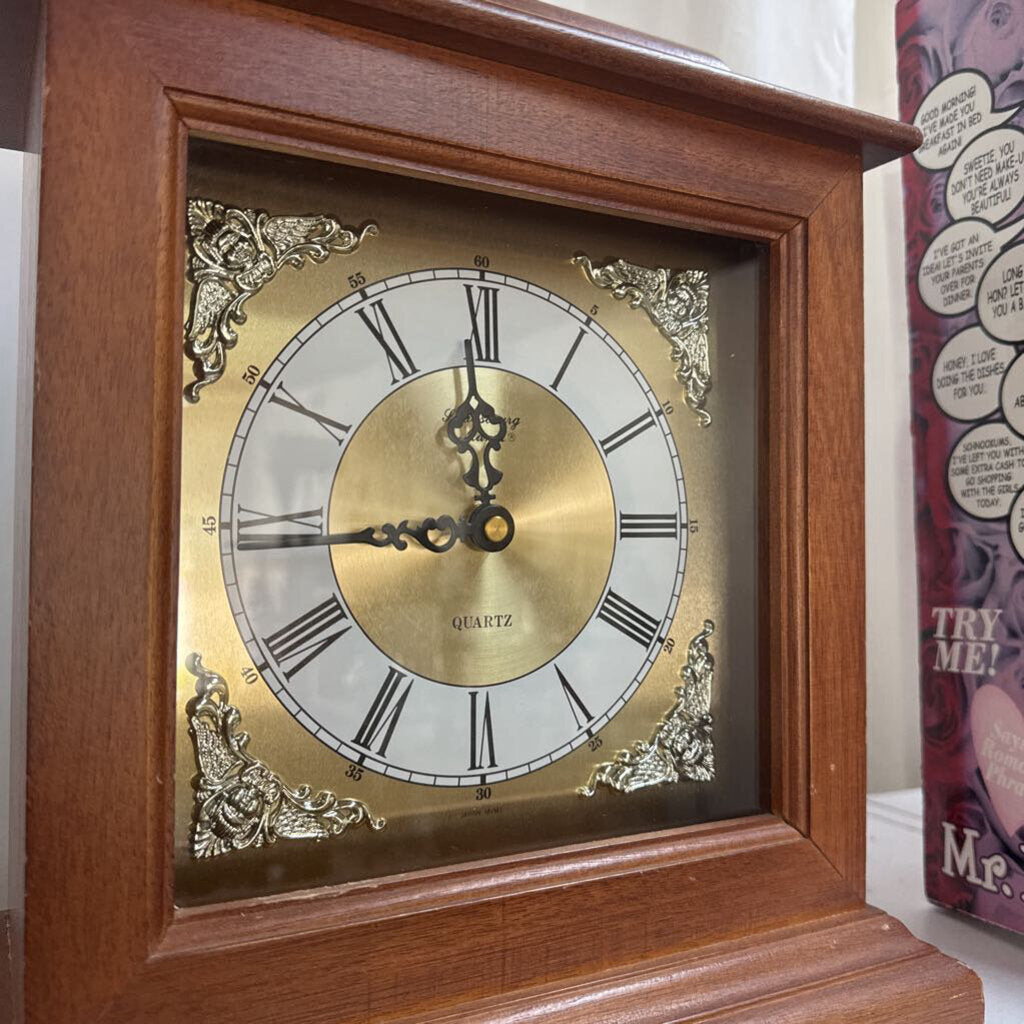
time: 11:44
